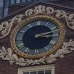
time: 3:12
